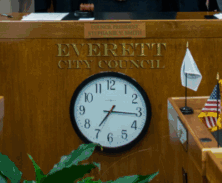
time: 7:15
